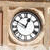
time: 12:49
